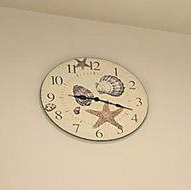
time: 9:18
